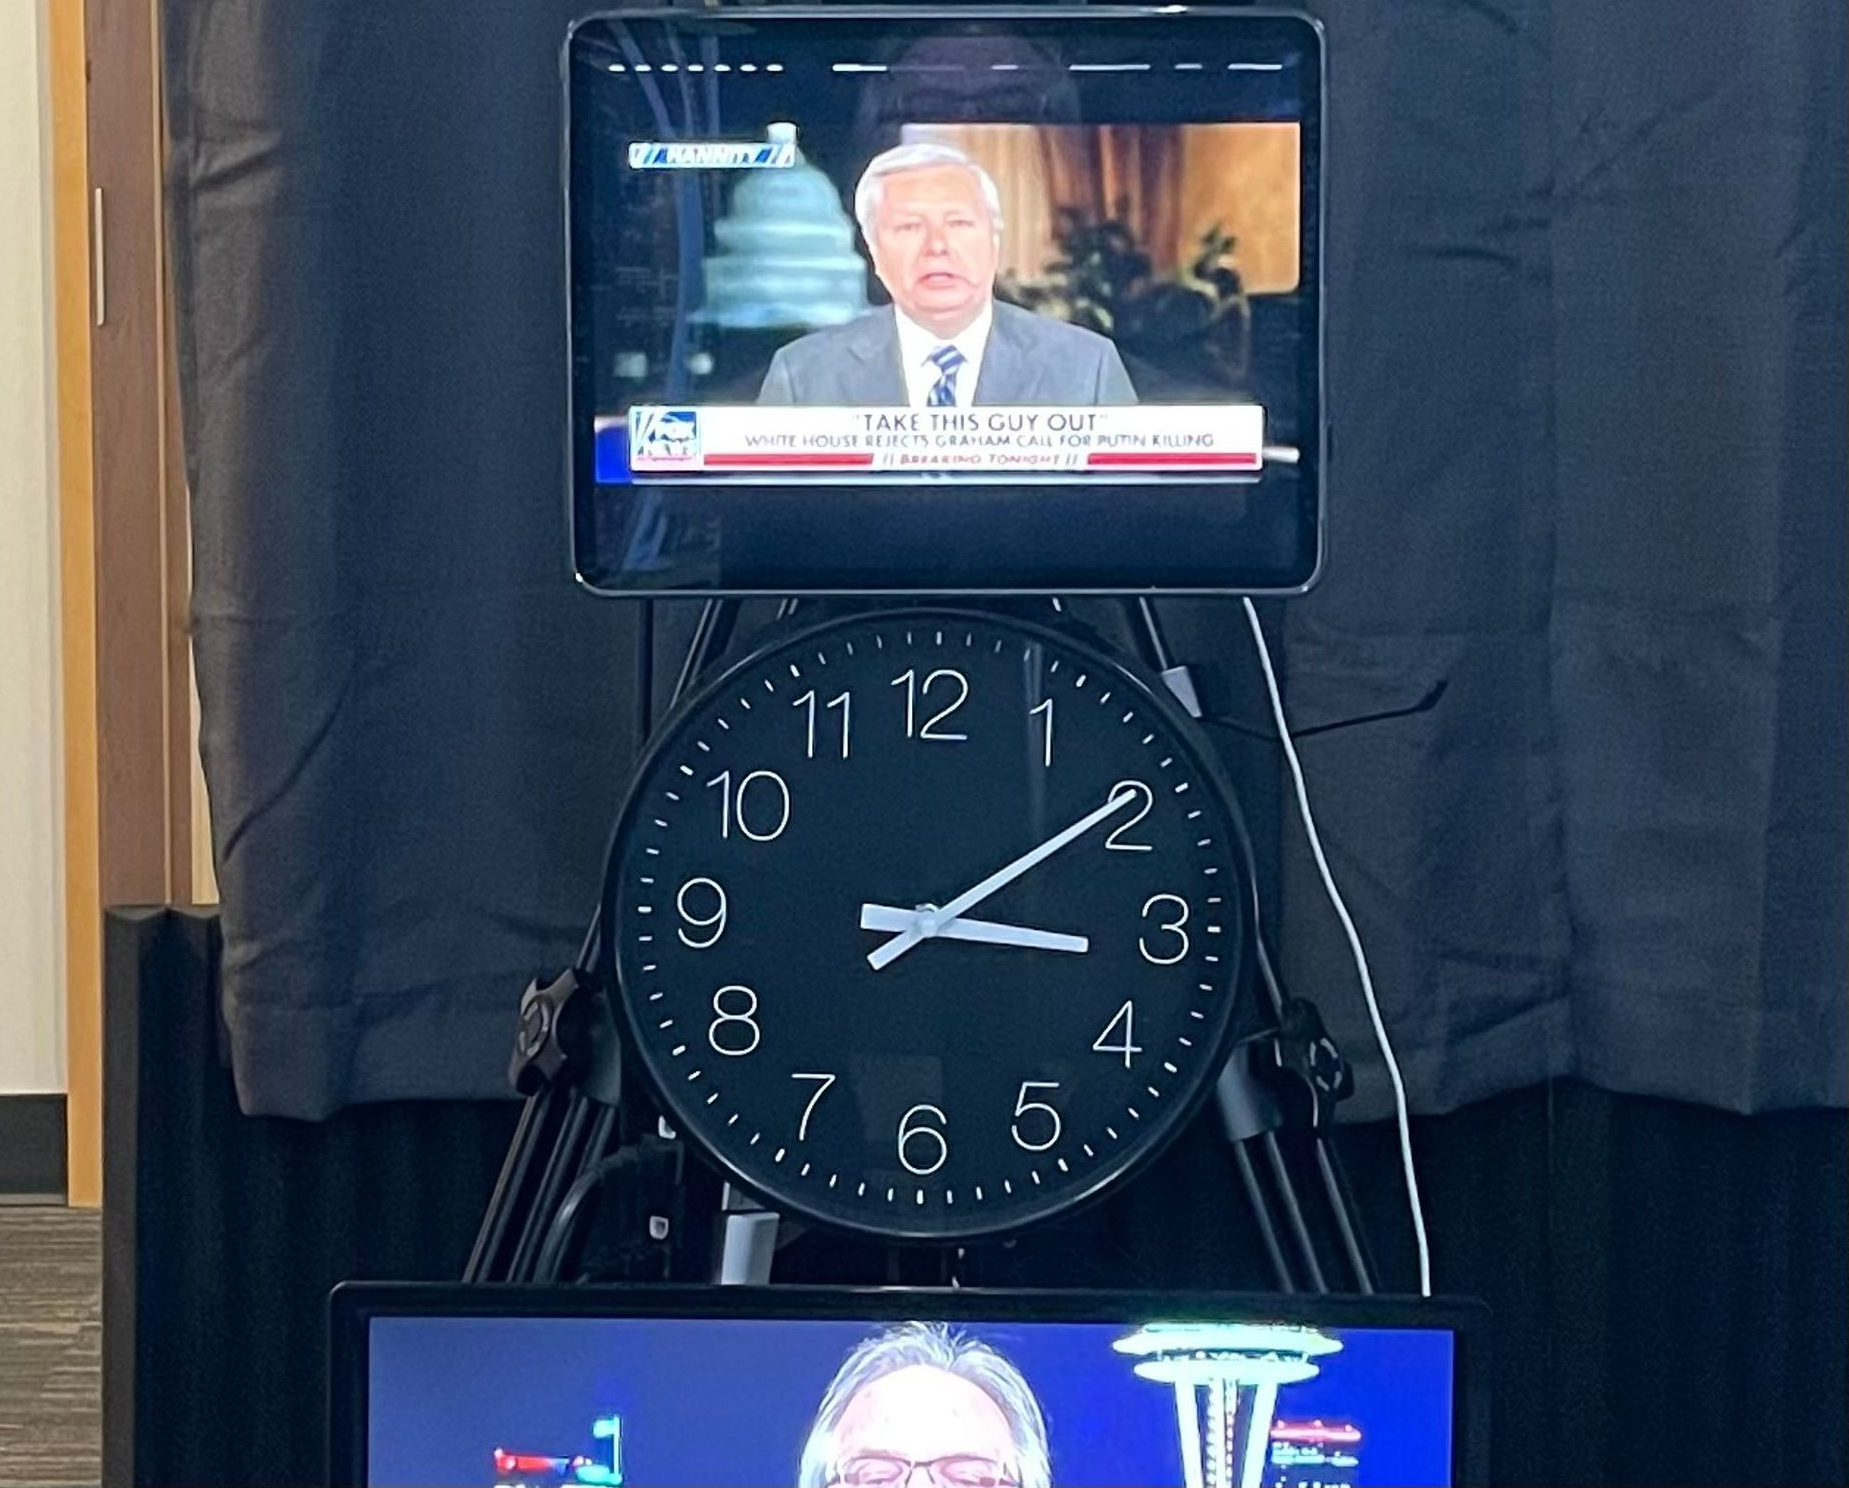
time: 3:09
